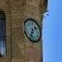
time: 1:33
